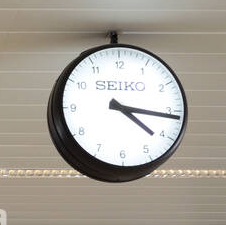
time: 4:15
